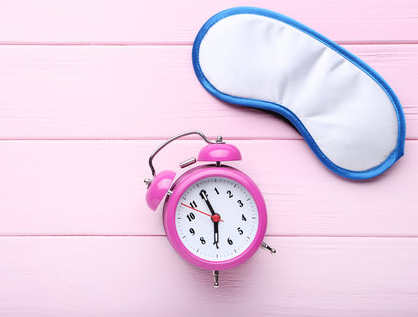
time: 5:55
